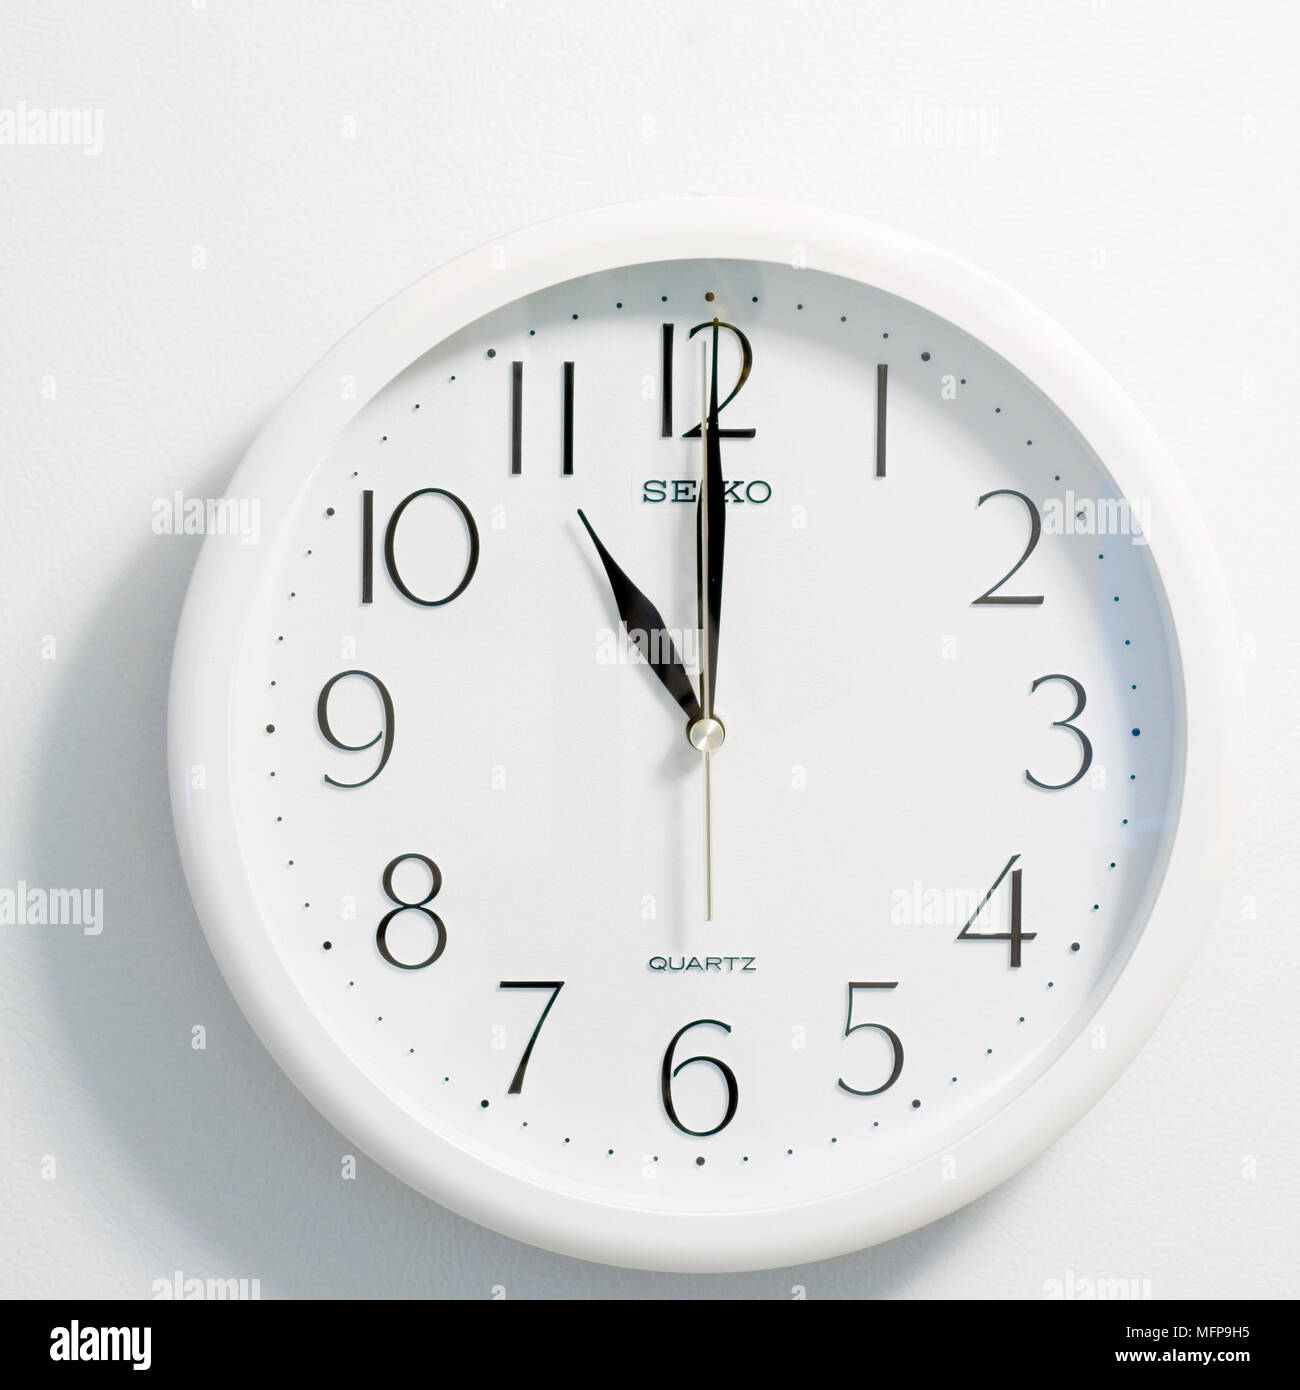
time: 11:00
